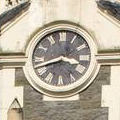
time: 3:42
